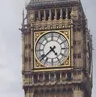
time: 4:38
